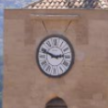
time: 2:48
